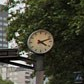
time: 4:12
